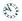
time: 10:47
